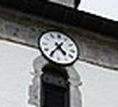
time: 4:35
